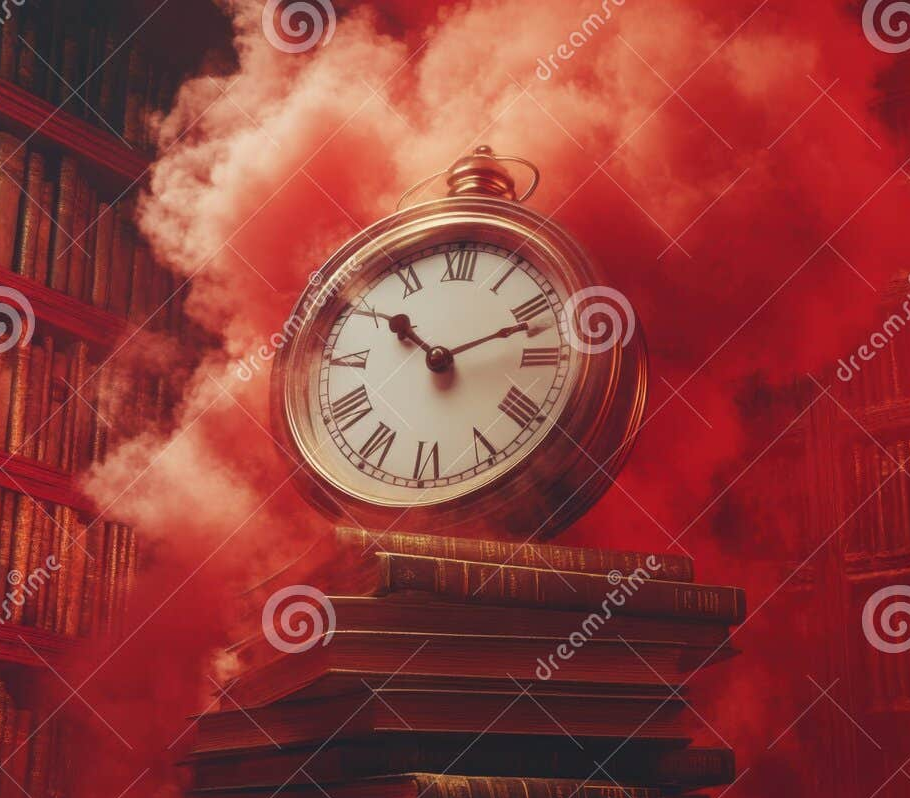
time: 10:11
